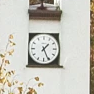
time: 1:26
